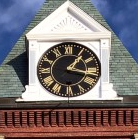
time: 1:17
